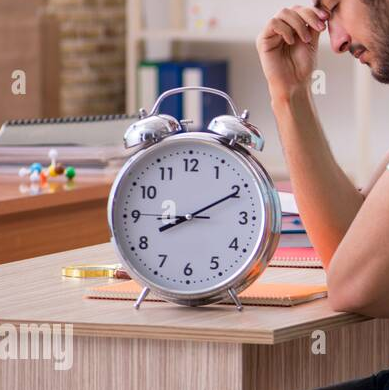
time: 8:10
